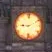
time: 9:11
